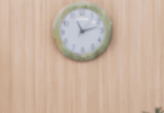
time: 11:12
